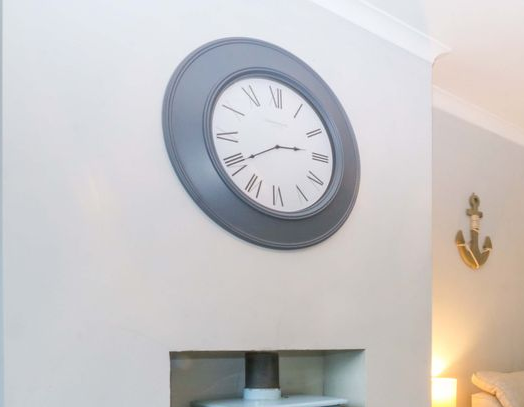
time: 2:40
